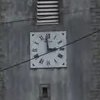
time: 2:58
